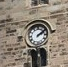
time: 2:09
